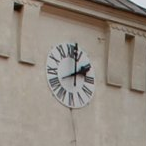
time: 2:01
